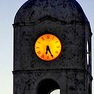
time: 6:25
